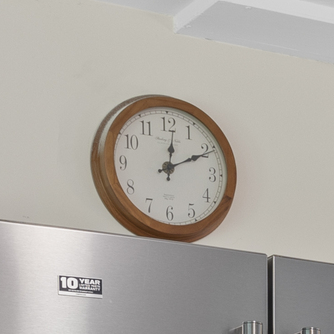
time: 12:10
